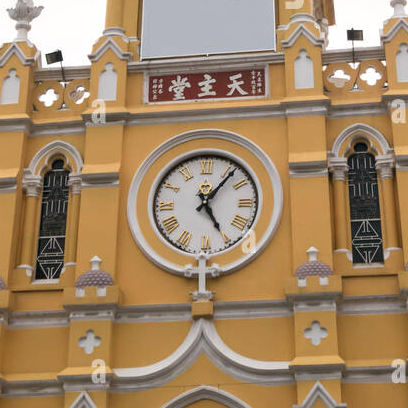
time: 5:06
